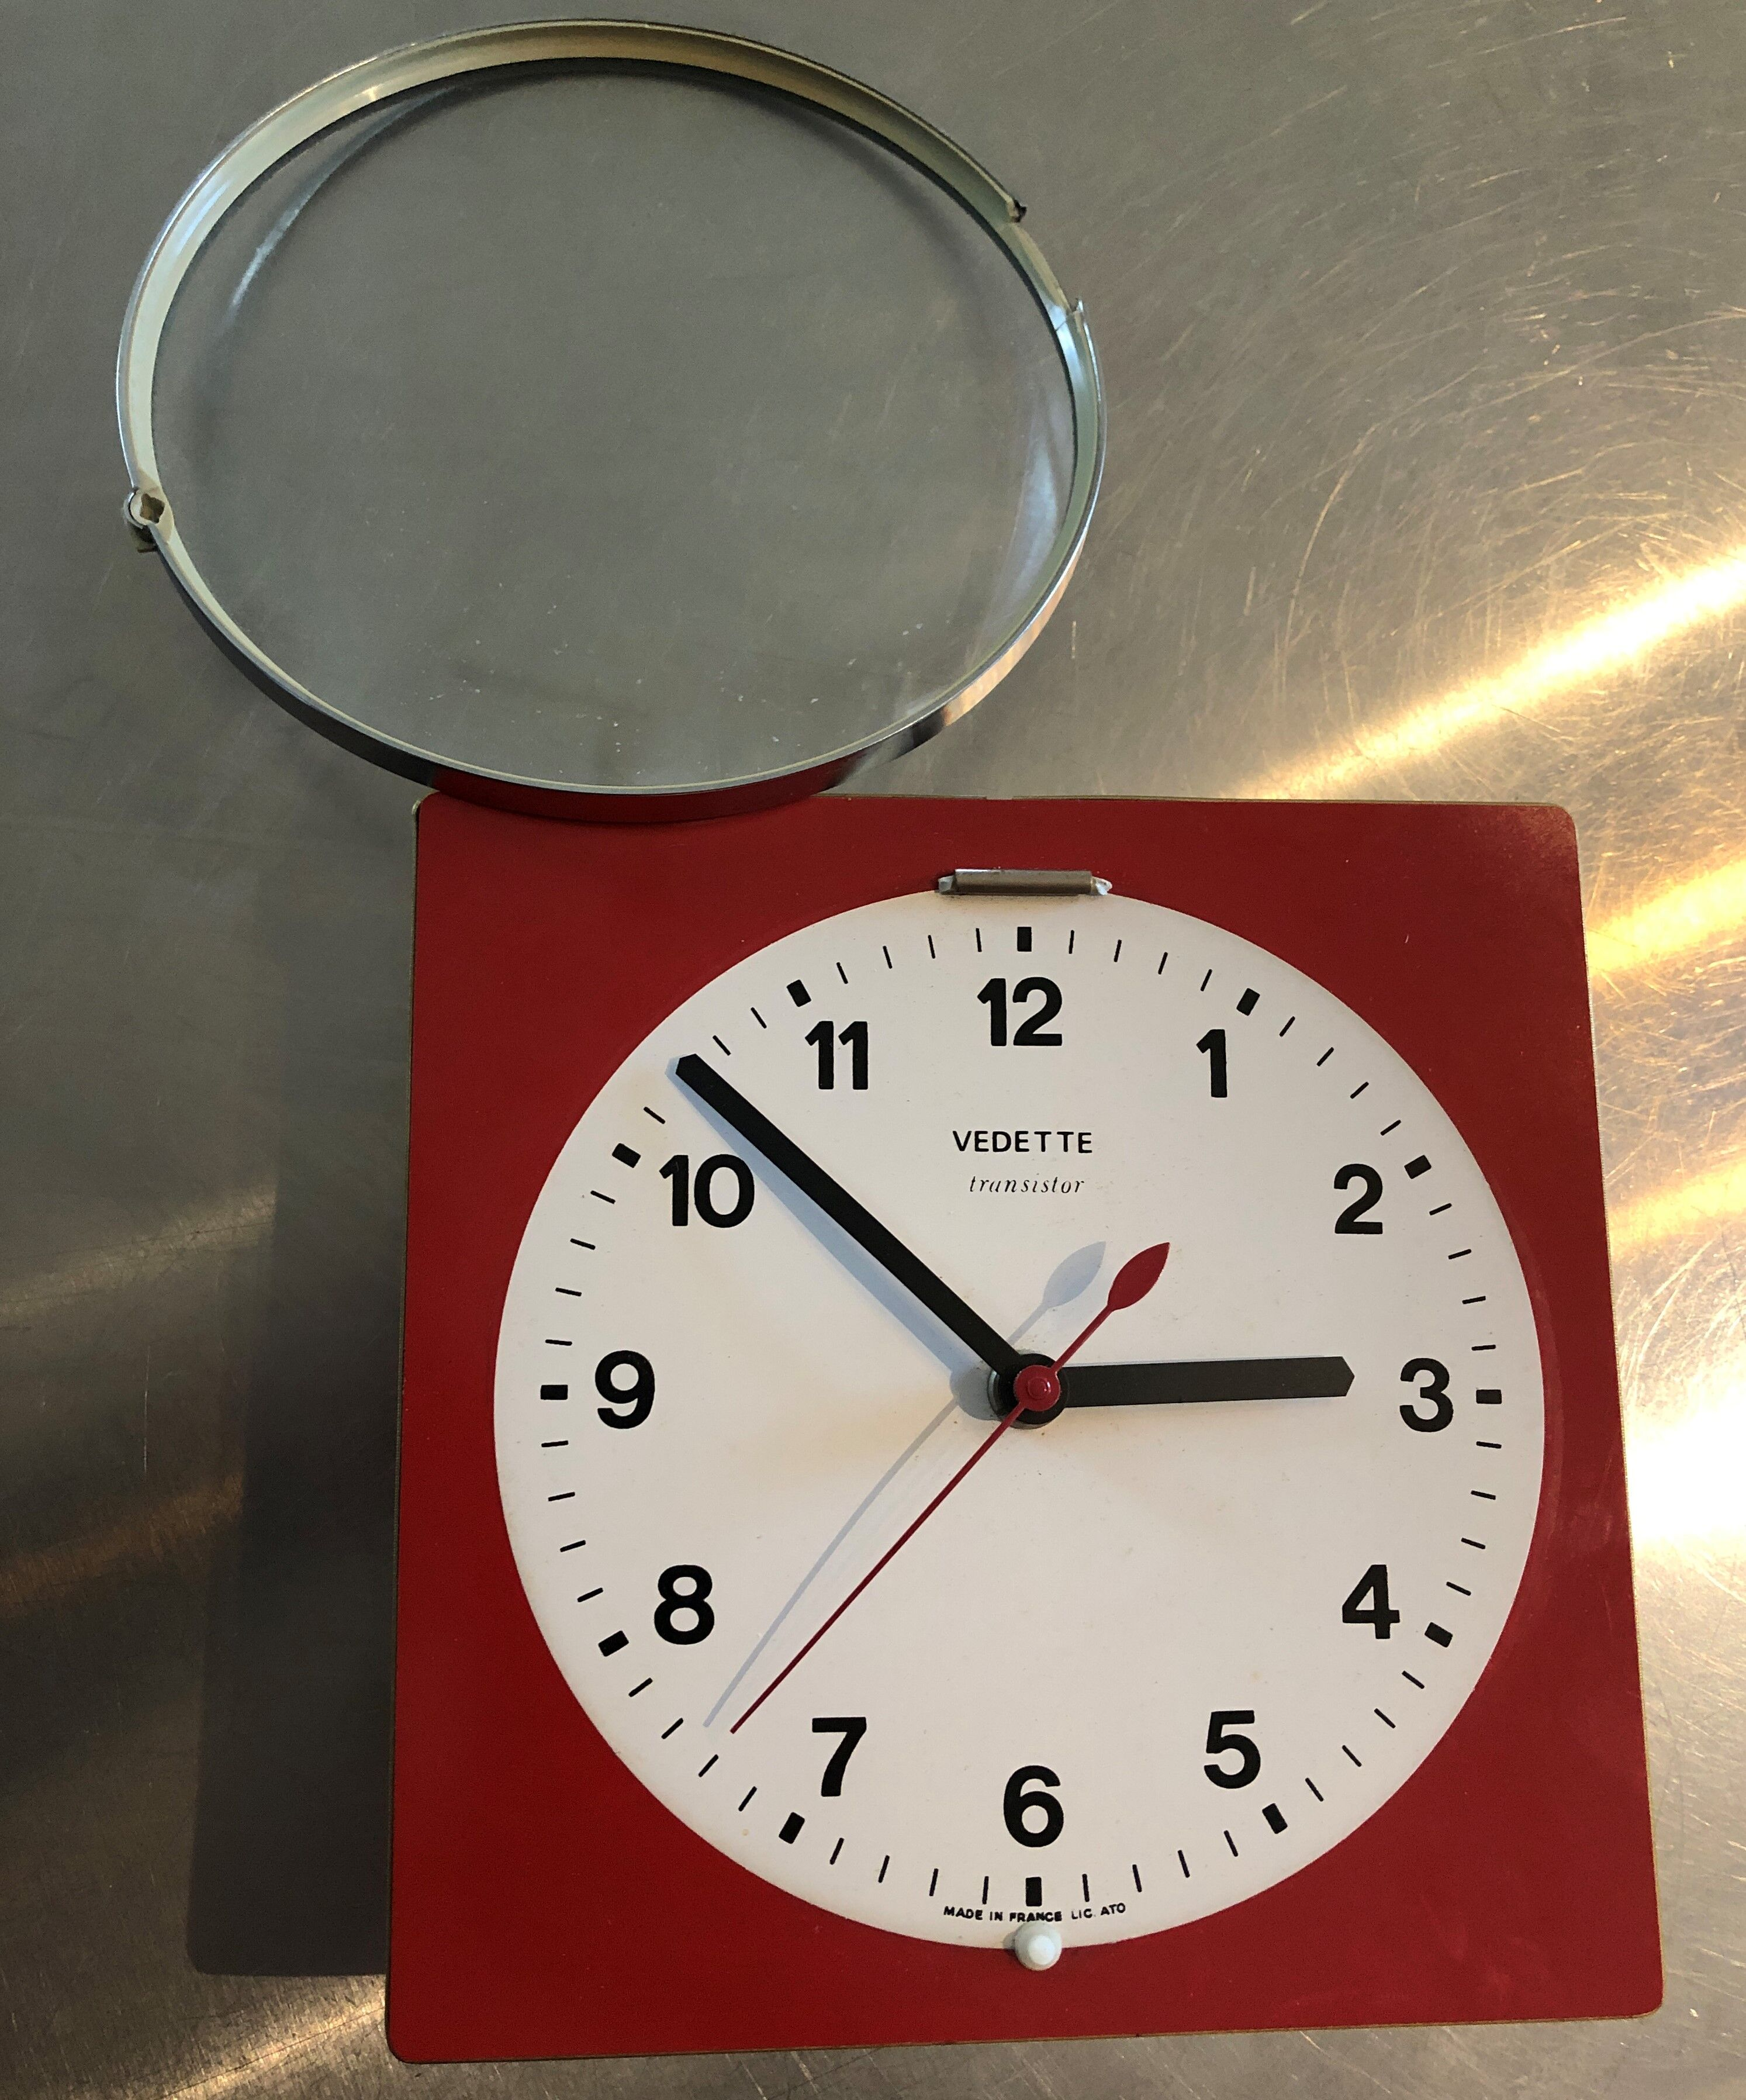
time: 2:52
